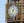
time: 7:32
